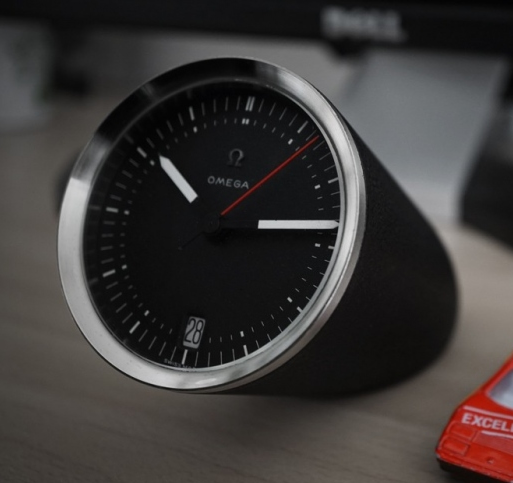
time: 10:13
